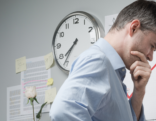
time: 7:35
